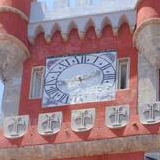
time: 5:11
